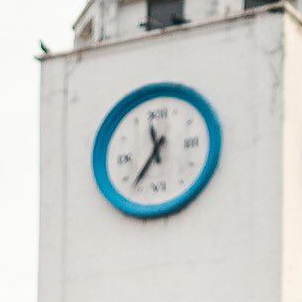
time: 11:36
